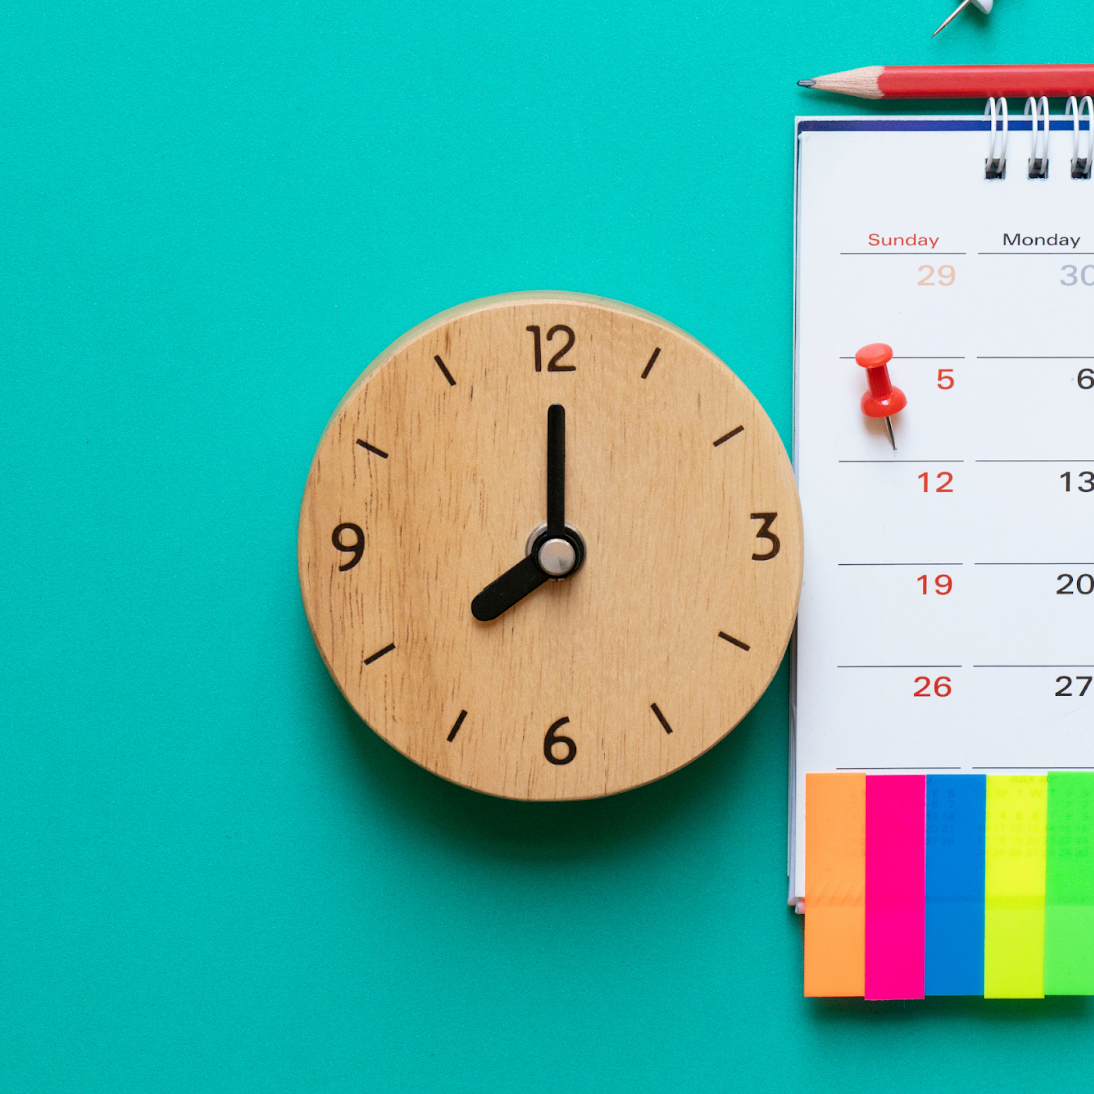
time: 8:00
